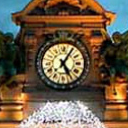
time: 5:05
